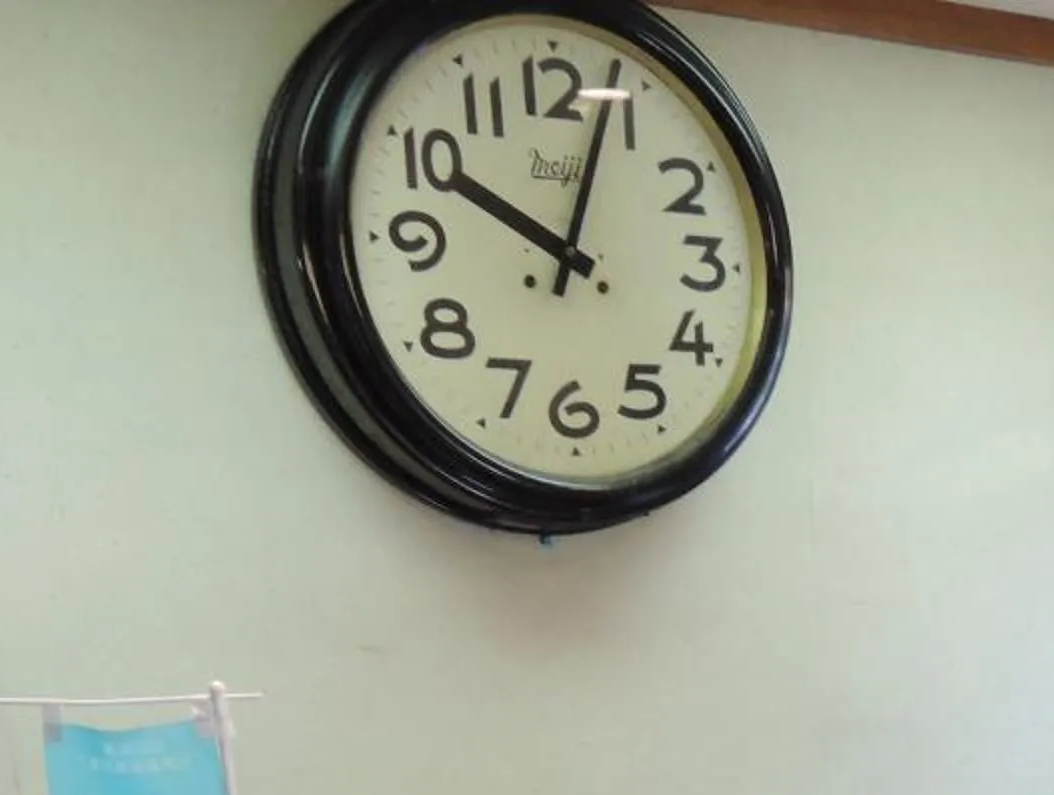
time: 10:03
